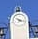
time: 4:17
